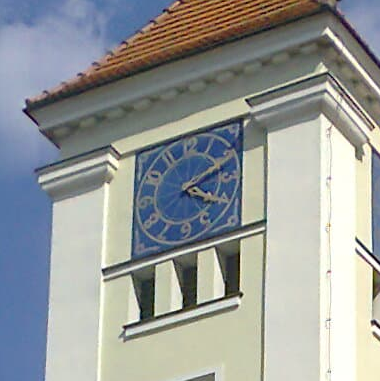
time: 4:10
